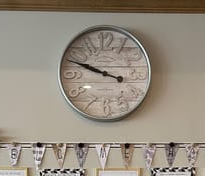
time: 9:48
